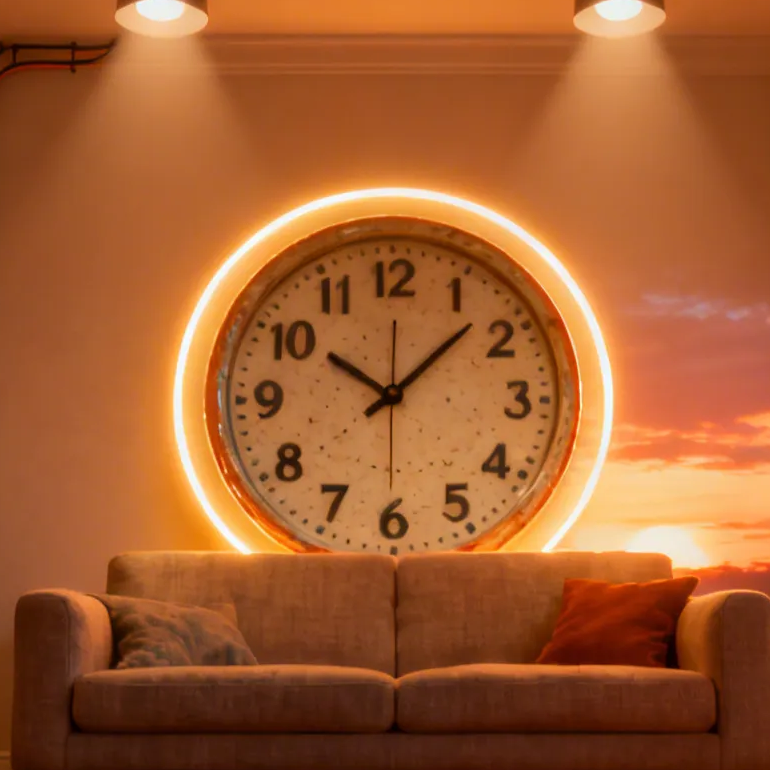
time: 10:07
